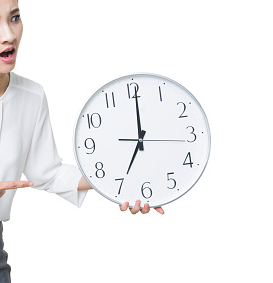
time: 7:00
